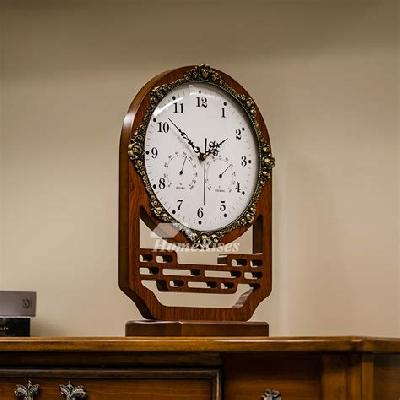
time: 1:52
